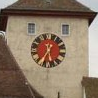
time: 5:34
